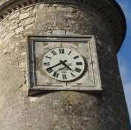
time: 4:40
